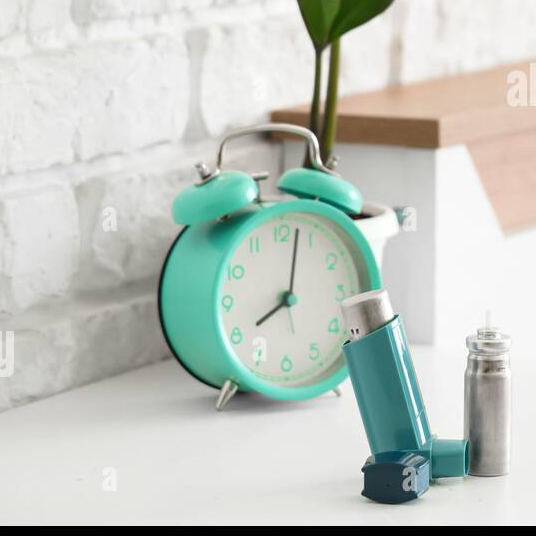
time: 8:02
